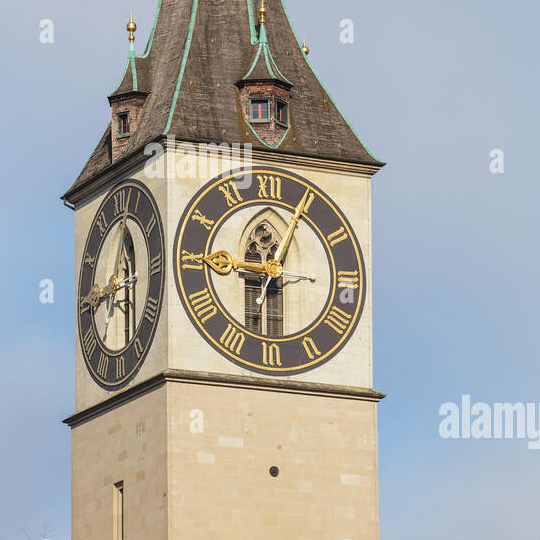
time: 9:04
